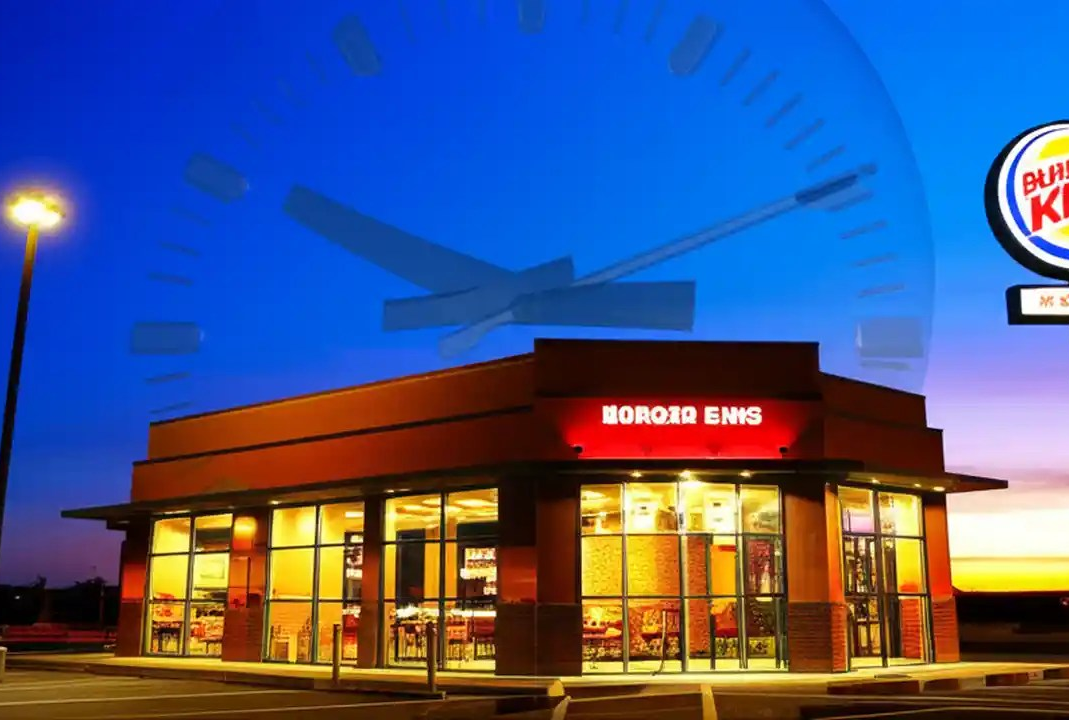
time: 9:50
